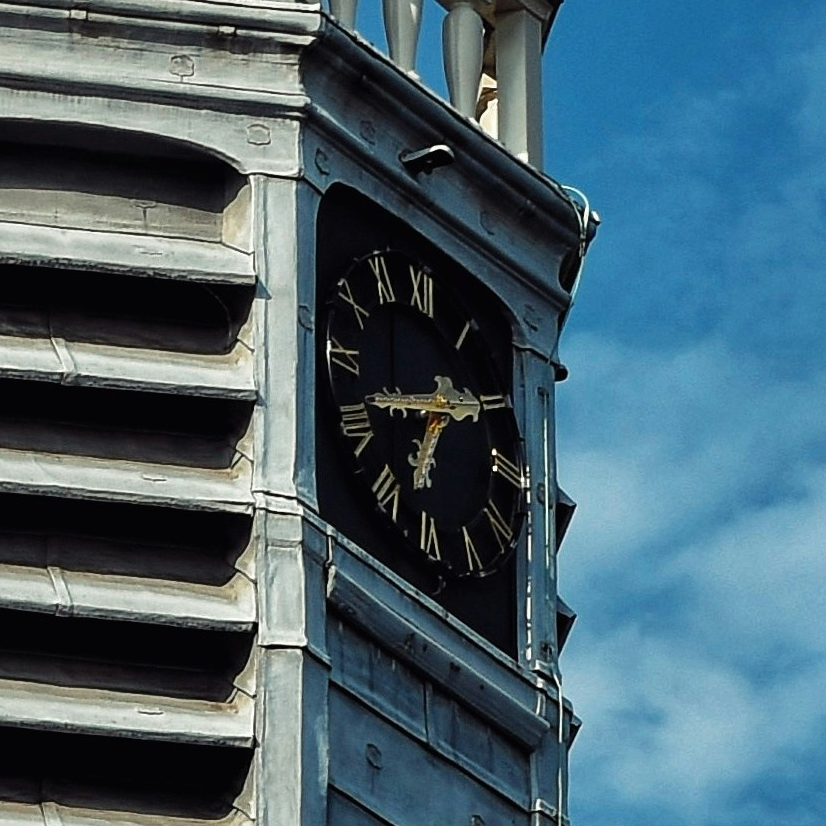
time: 6:41
